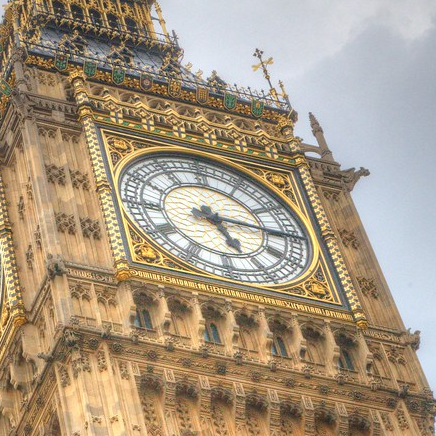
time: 5:15
